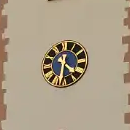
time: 4:31
